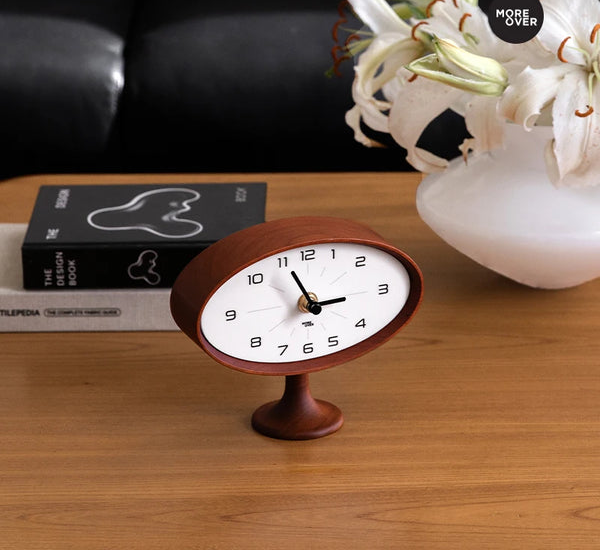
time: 2:56
